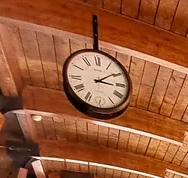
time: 3:09
